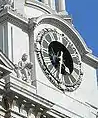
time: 4:32
